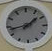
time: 1:43
